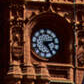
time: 2:24
